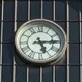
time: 5:14
